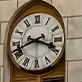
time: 3:41
